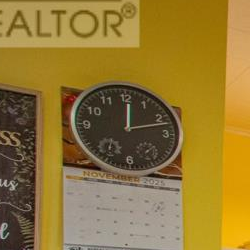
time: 12:12
